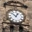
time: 12:52
